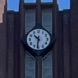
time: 10:31
